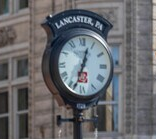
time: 12:33
